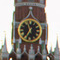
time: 11:34
